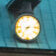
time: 7:13
